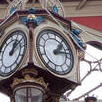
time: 1:12
